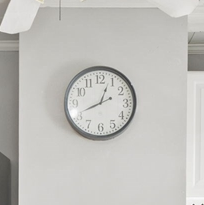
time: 12:41
